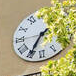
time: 1:35
